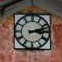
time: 3:12
